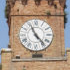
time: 11:23
